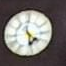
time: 4:28
